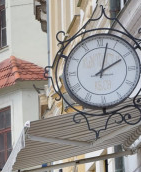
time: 2:02
